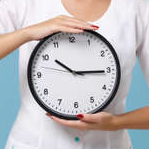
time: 10:15
